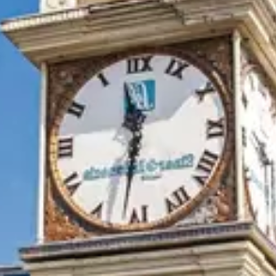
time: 11:31
